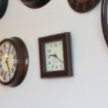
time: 9:20
